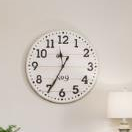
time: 11:34
